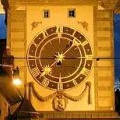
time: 1:37
